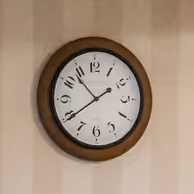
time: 10:39
